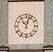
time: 11:03
